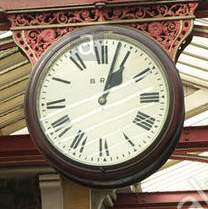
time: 1:02
